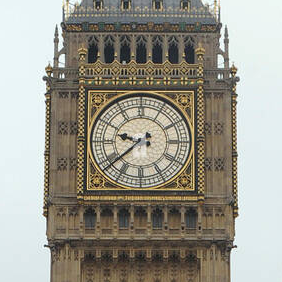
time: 9:38
